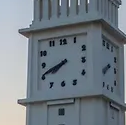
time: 7:40
